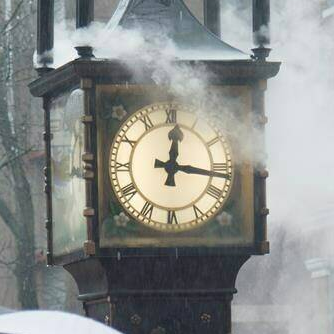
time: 12:16
